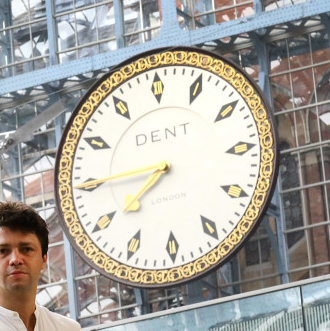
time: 7:45
